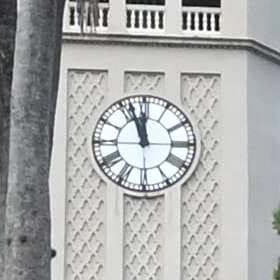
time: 11:56
